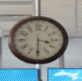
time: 3:30
